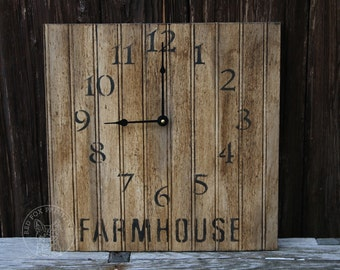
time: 9:00
